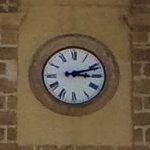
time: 3:11
